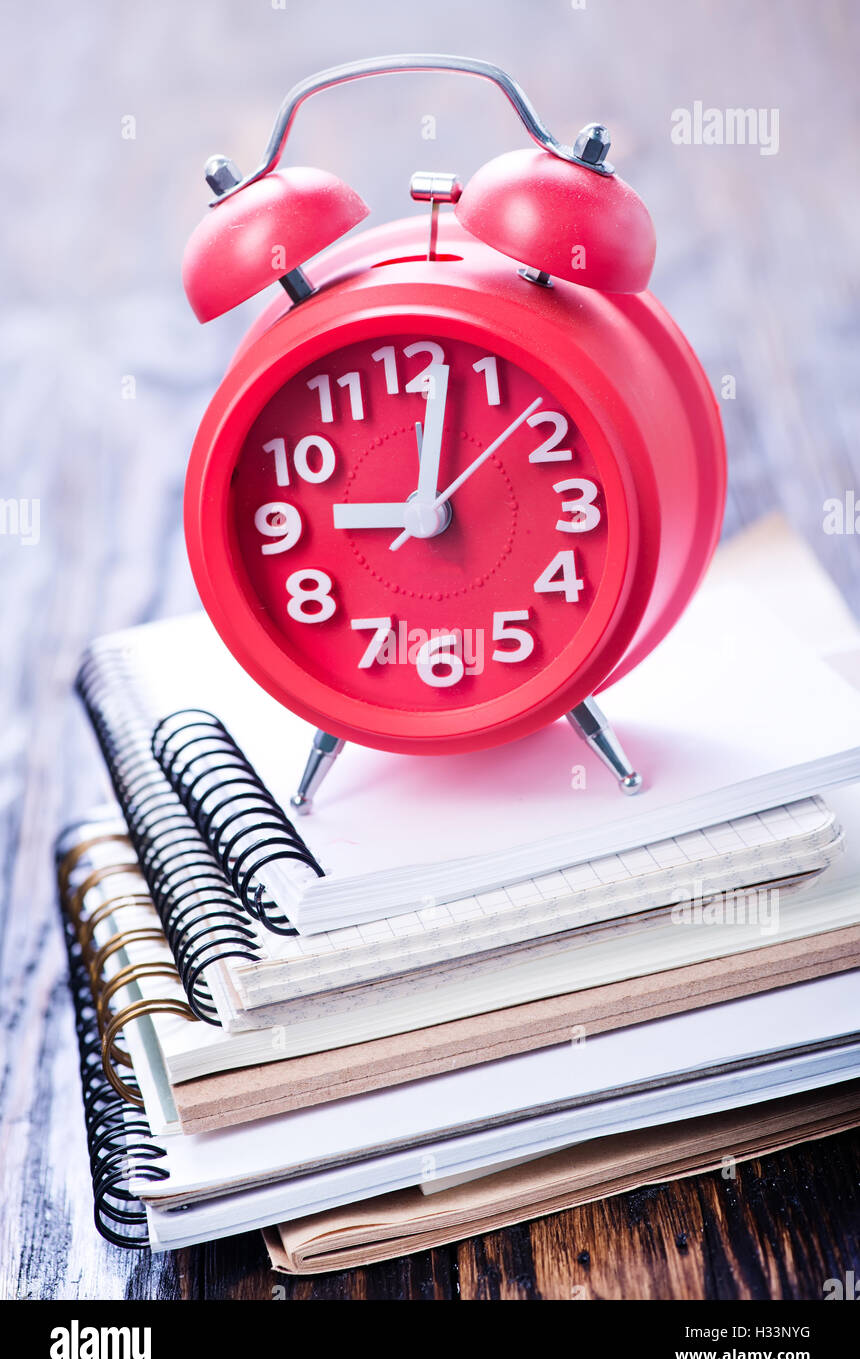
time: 9:01
